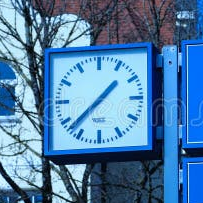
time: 1:37
